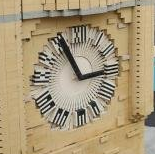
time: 2:55
